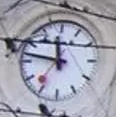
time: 11:46
